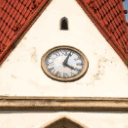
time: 4:03
